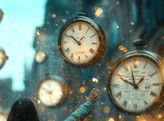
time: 12:51
